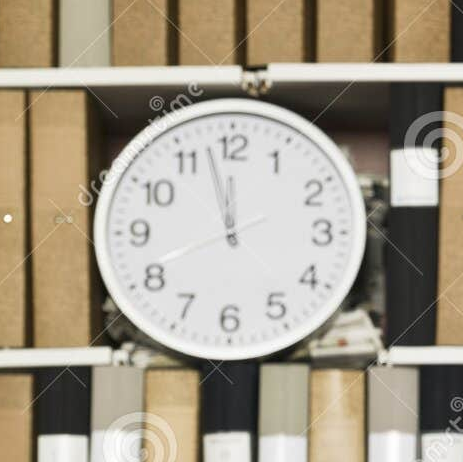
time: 11:57
